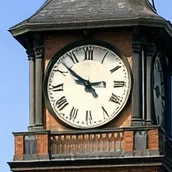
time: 2:51
